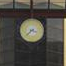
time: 3:37
